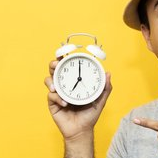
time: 6:59
